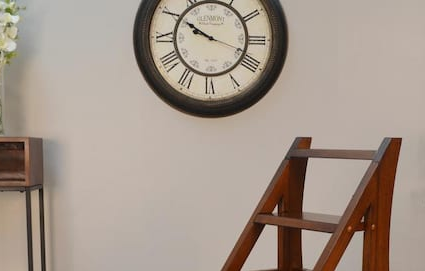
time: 9:50
